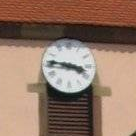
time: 3:46
